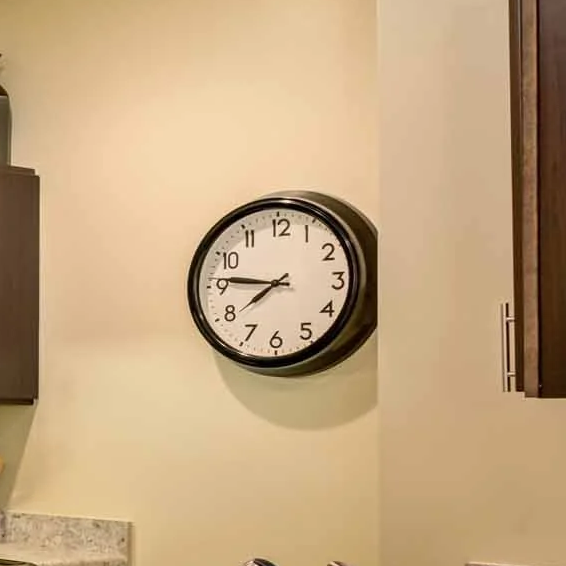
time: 7:46
